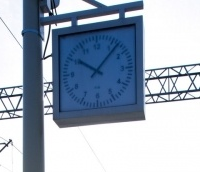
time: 10:07
